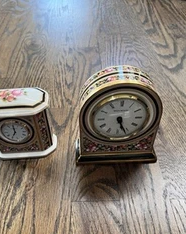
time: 5:26
